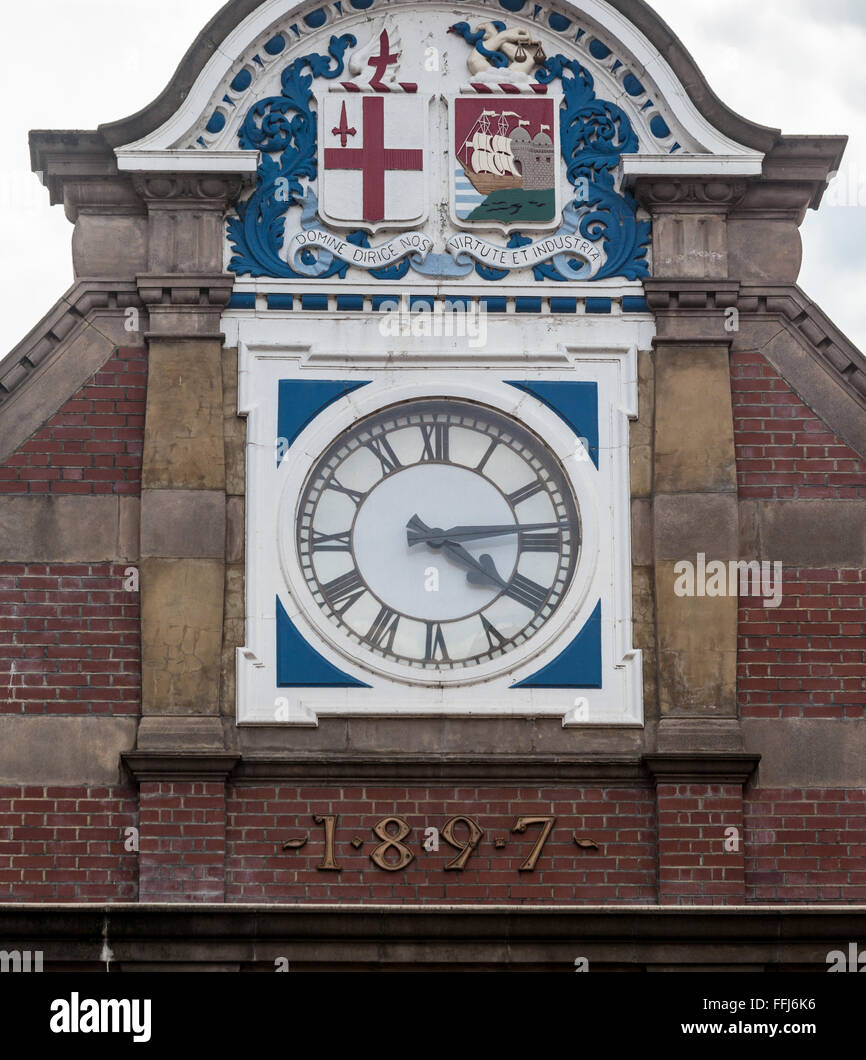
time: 4:14
